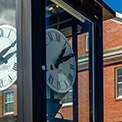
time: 1:10
